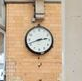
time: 2:41
